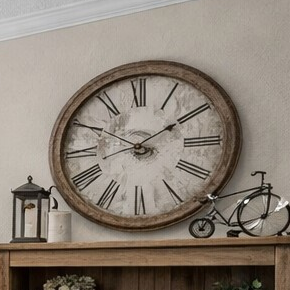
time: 1:50
